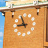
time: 8:56
